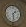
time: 1:28
